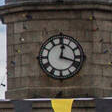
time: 12:18
